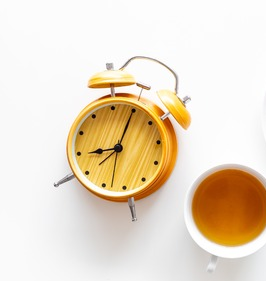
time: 9:04
